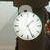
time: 1:26
